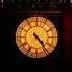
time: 4:23
